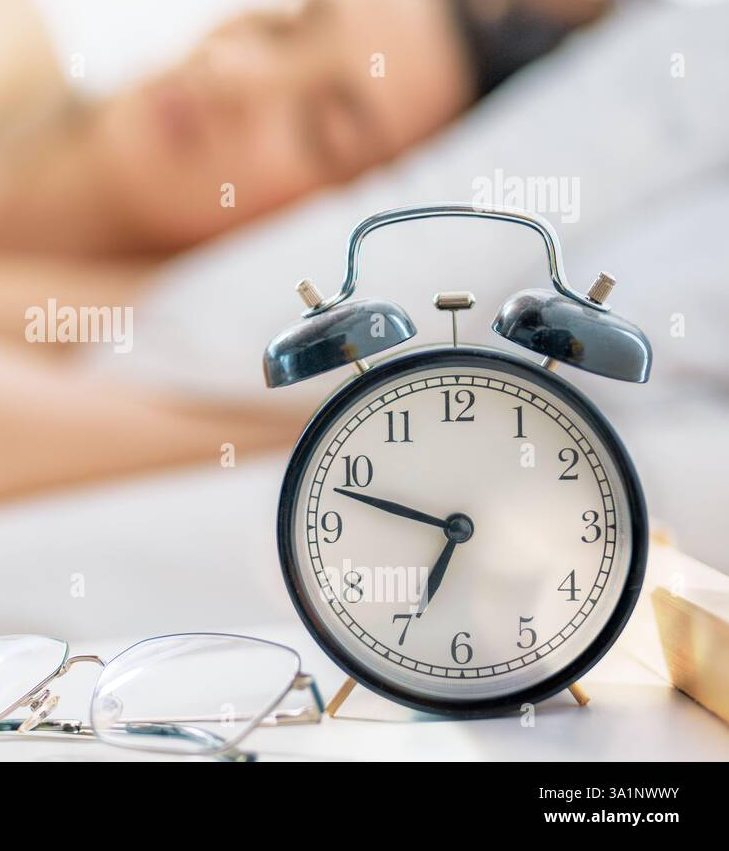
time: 6:48
